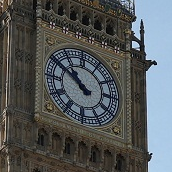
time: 10:50
